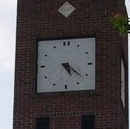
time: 5:21
